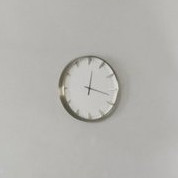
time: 12:17
